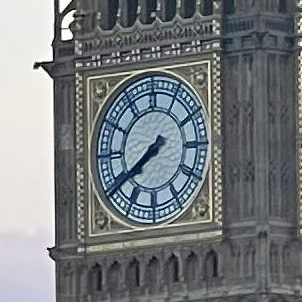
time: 7:39
